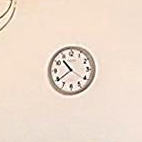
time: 10:39
